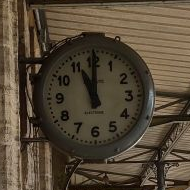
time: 11:00
